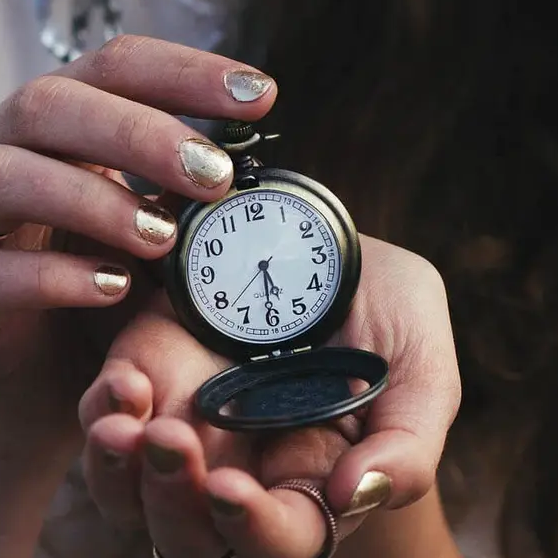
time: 5:30
